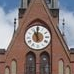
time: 11:00
